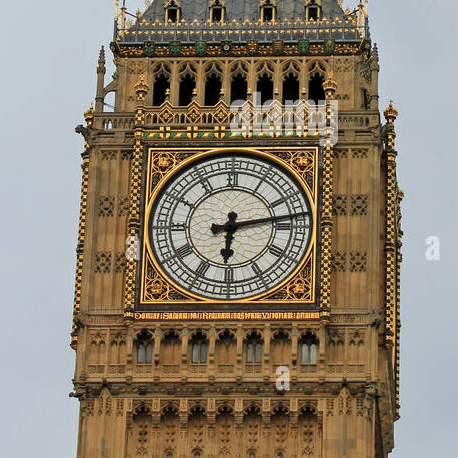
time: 6:13
